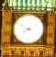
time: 7:49
